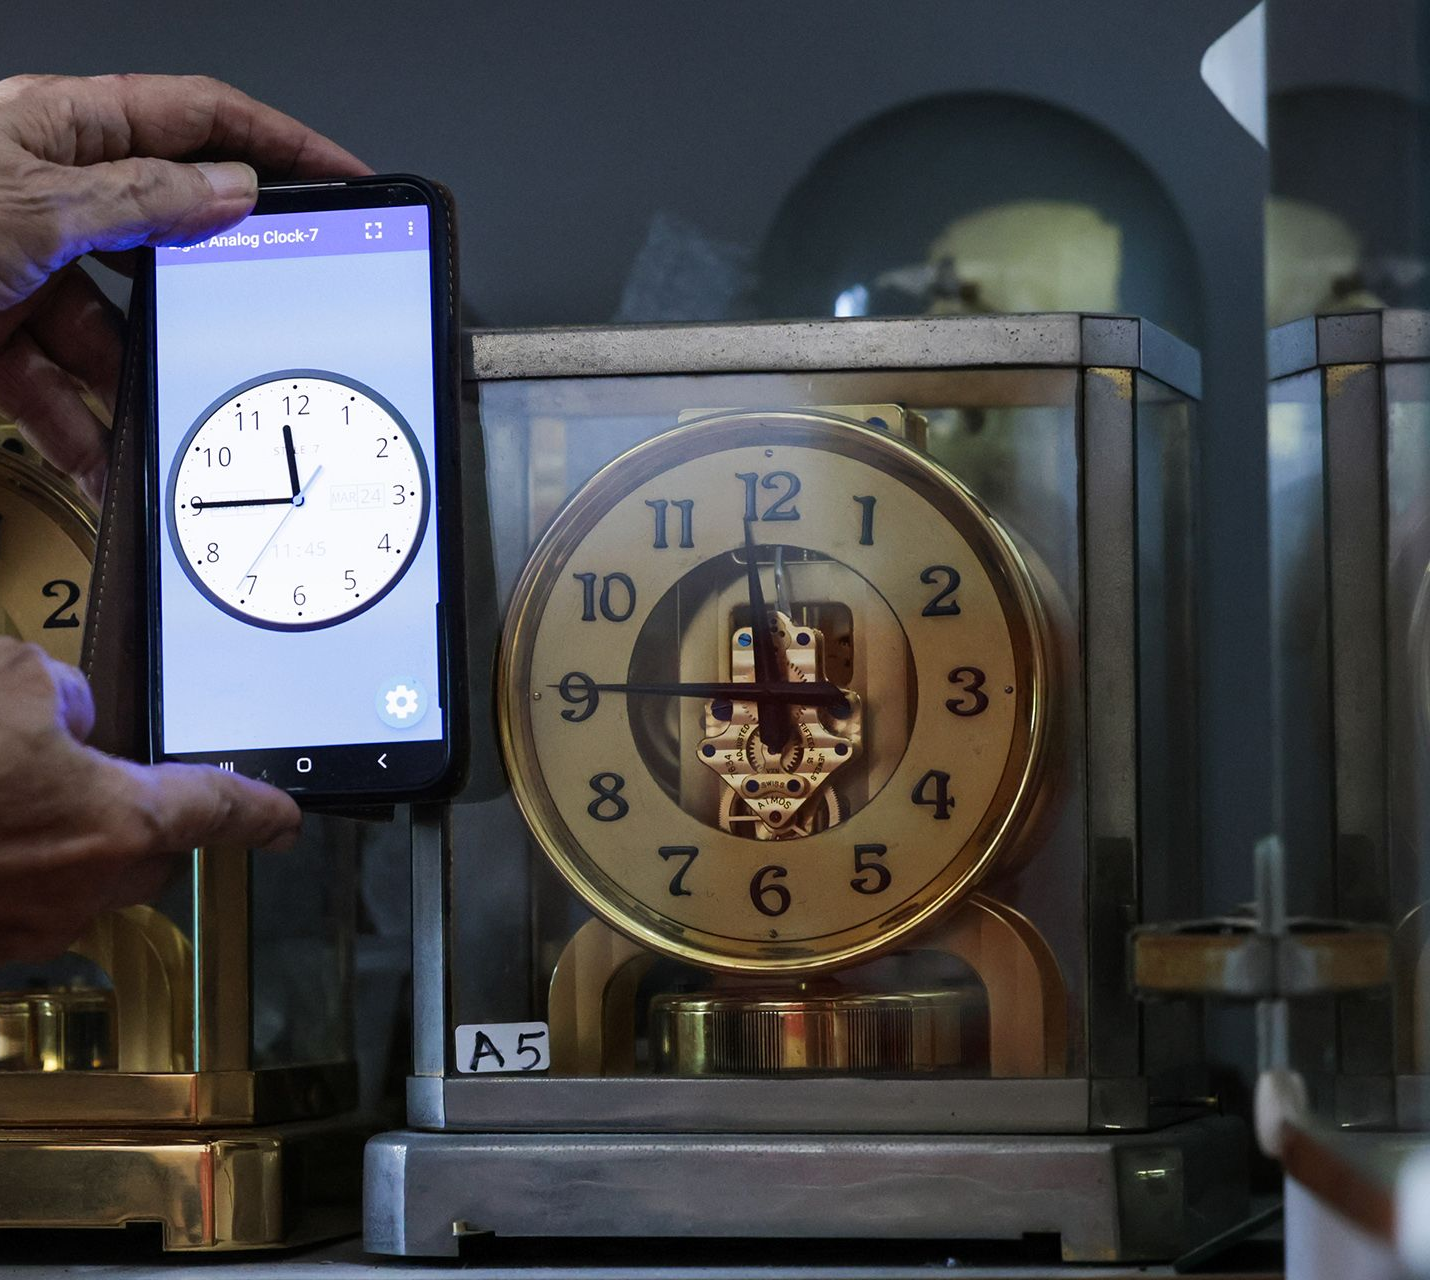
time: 11:45
